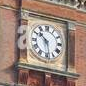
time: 10:28
